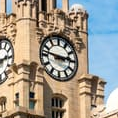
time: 2:46
